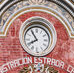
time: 7:54
